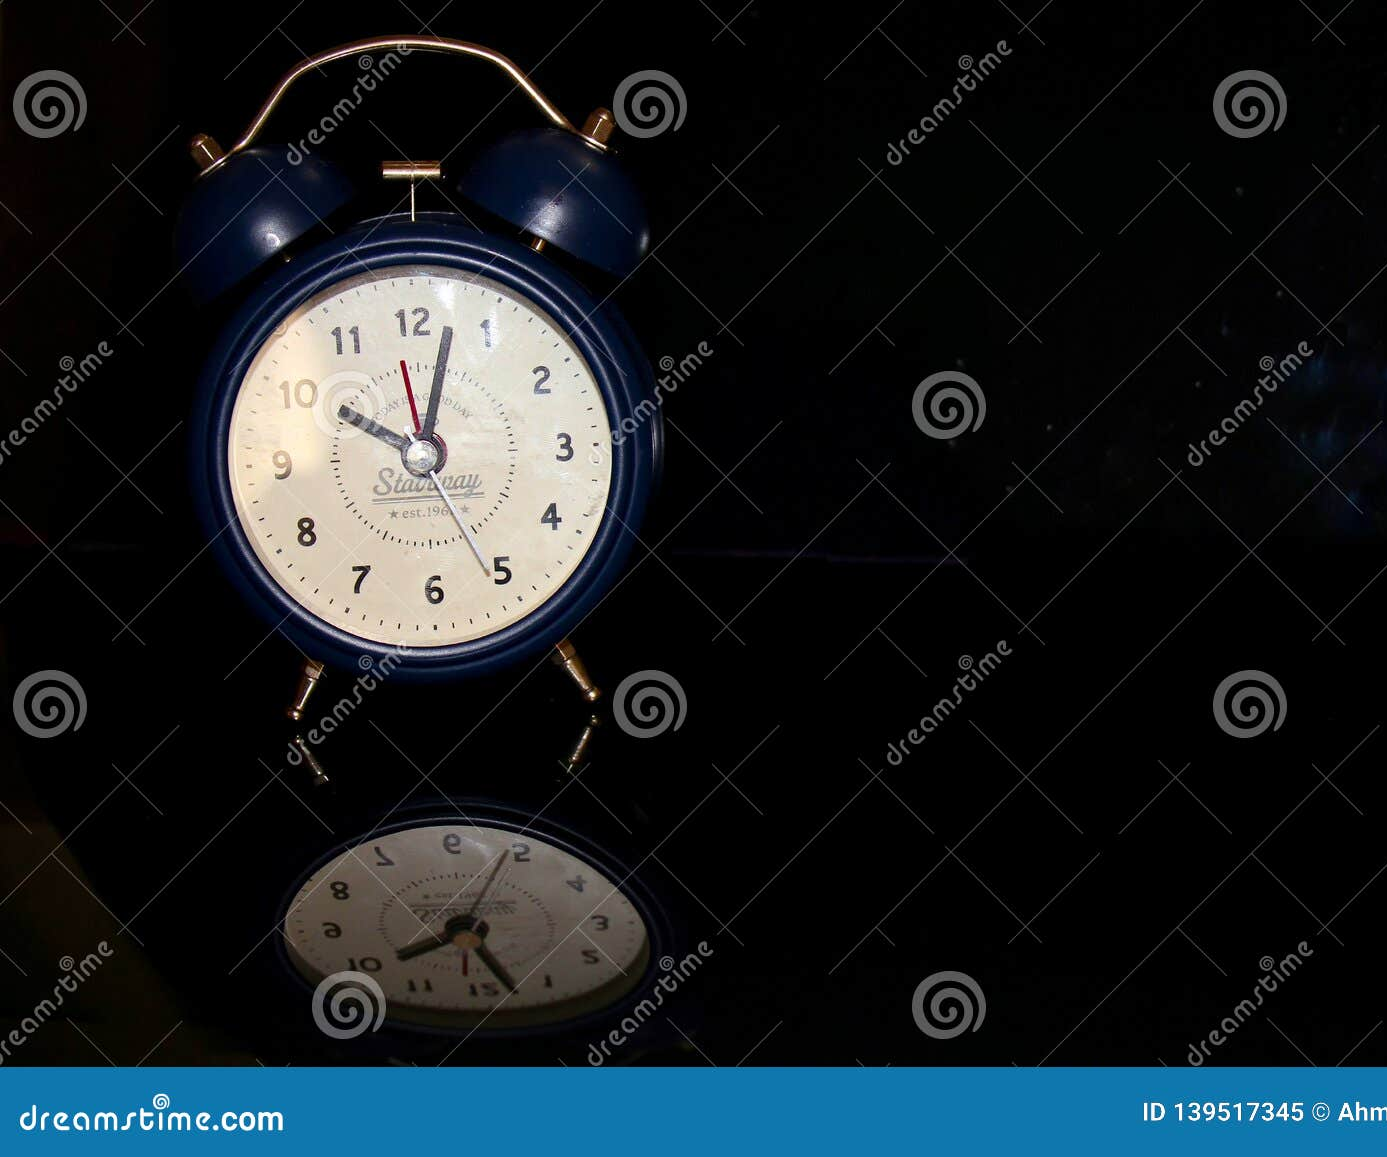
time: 10:02
